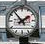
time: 1:53
